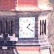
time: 1:20
